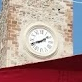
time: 1:41
